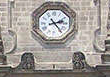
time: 2:23
